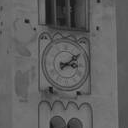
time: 3:09
